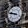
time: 9:47
